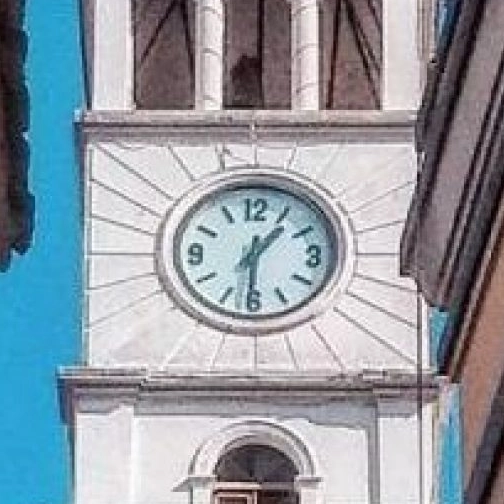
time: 1:30
